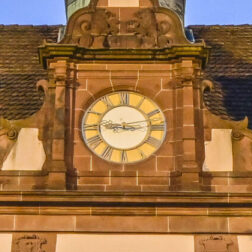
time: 9:12
